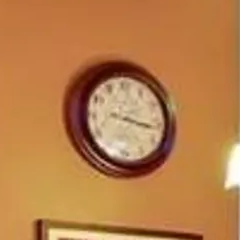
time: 3:16
